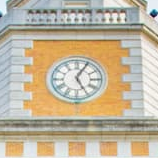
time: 5:04
